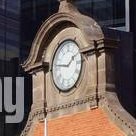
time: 1:46
